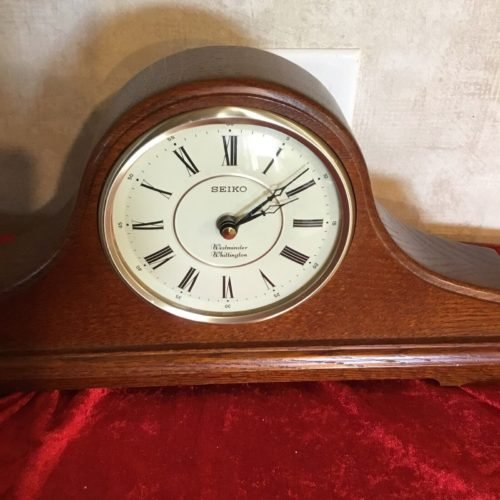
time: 2:09
